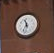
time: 11:35
